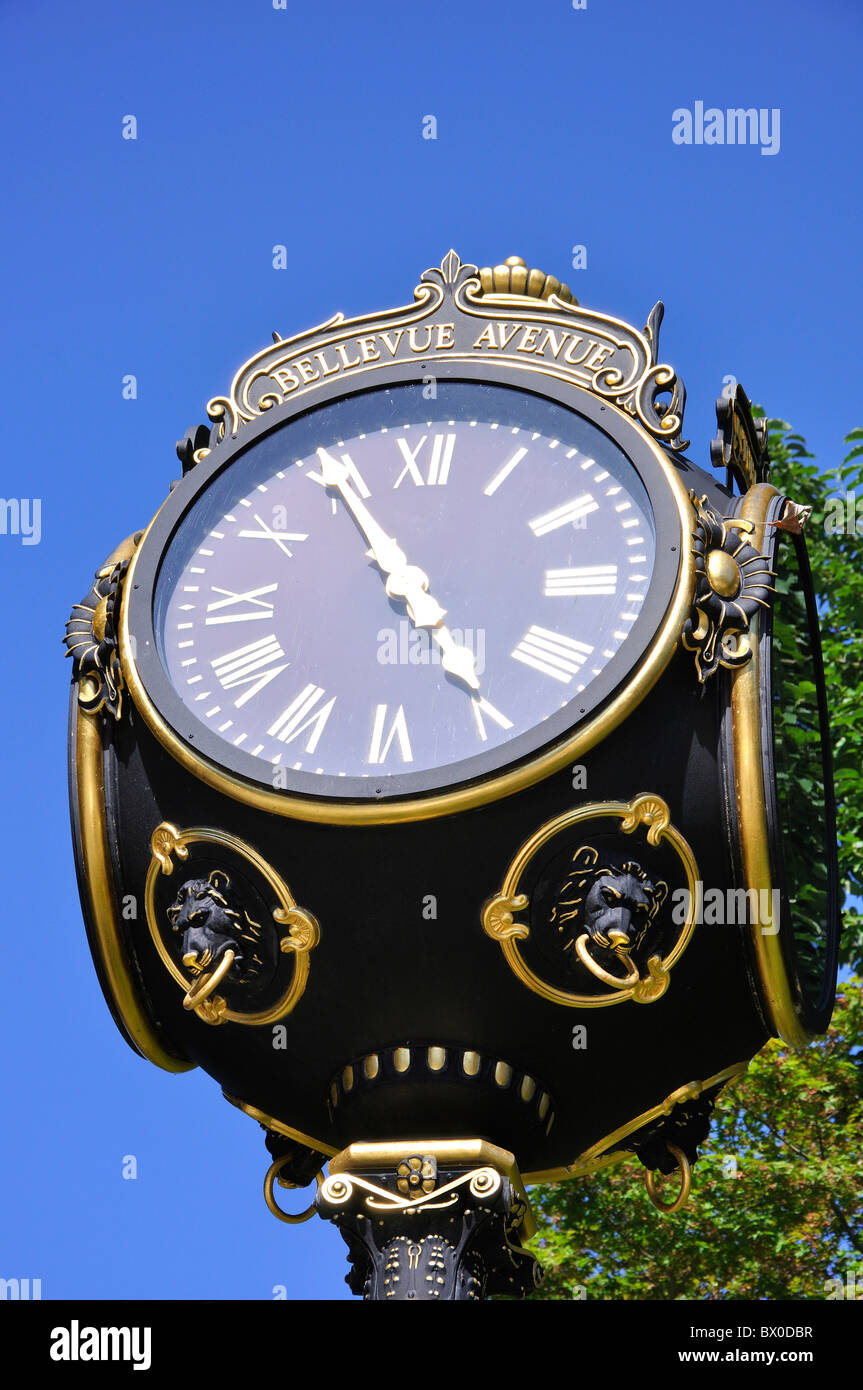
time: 4:54
